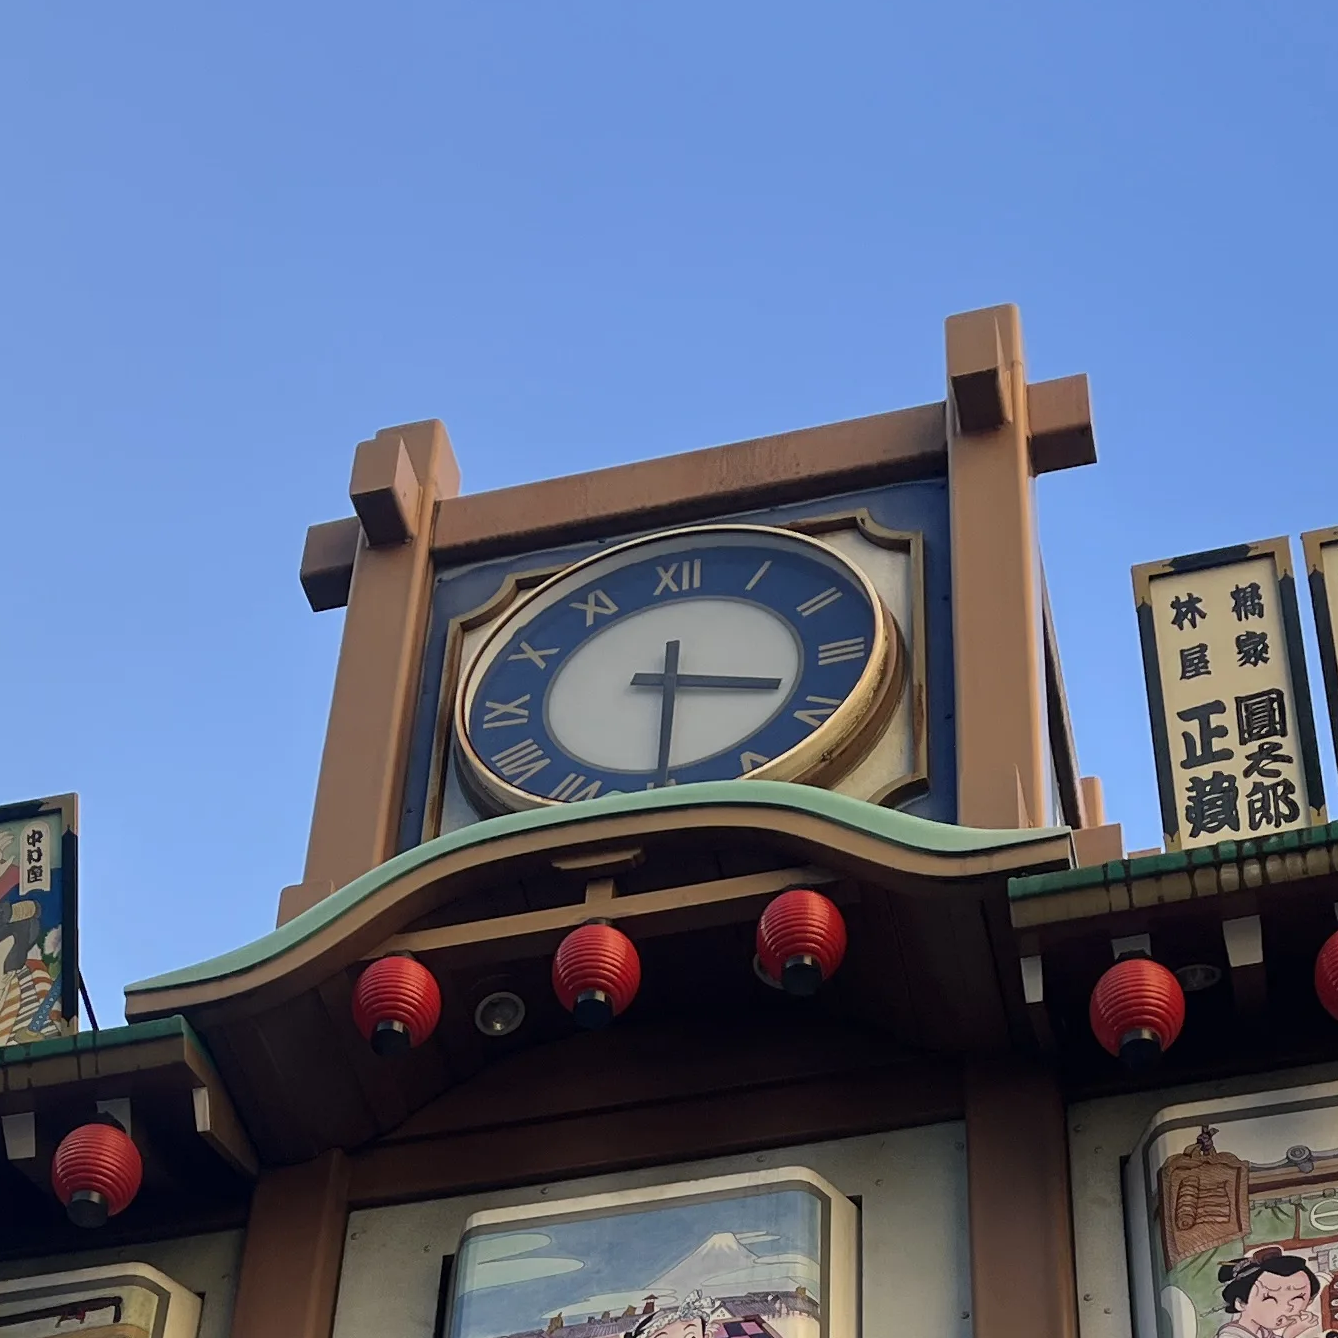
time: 3:29
